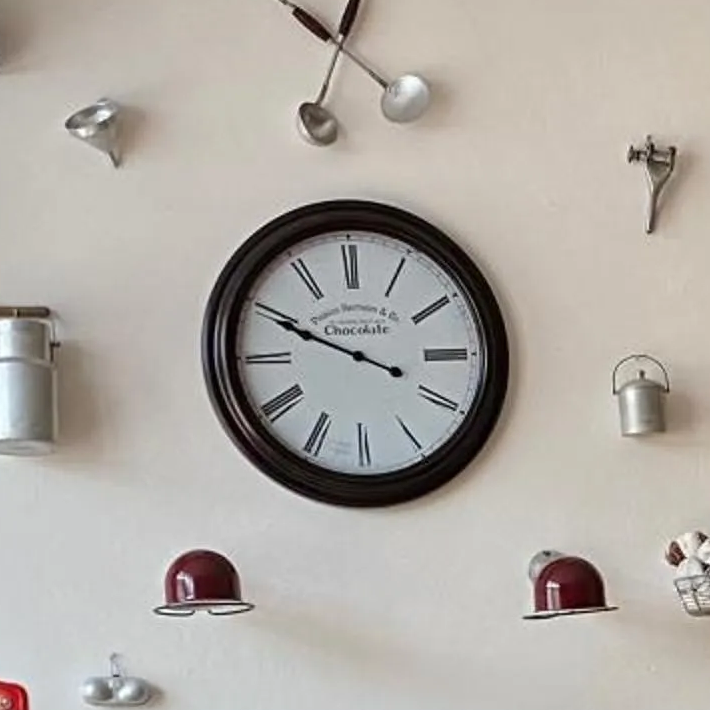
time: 3:49
